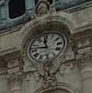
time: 11:46
